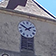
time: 1:50
